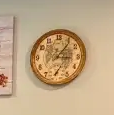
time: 3:06
